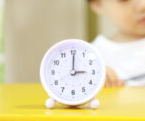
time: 3:00
